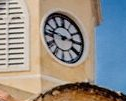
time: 2:46
